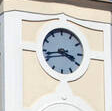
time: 3:43
